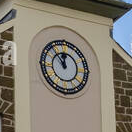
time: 11:53
